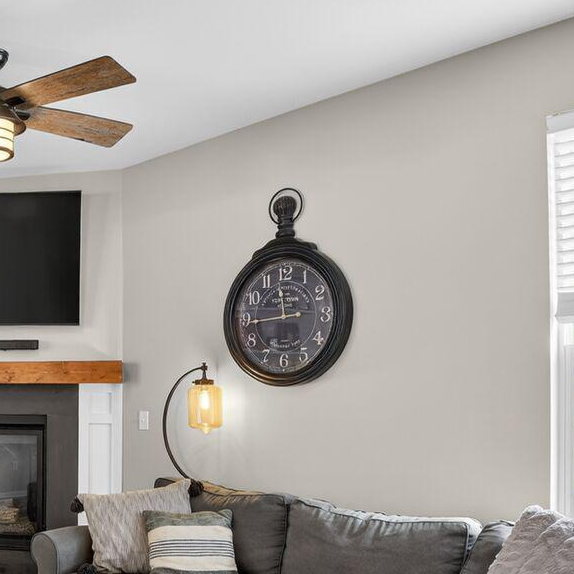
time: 11:43
